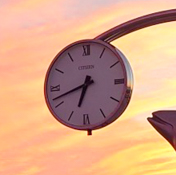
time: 6:41
